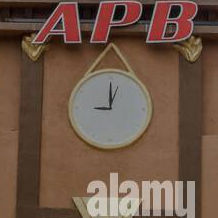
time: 9:00
